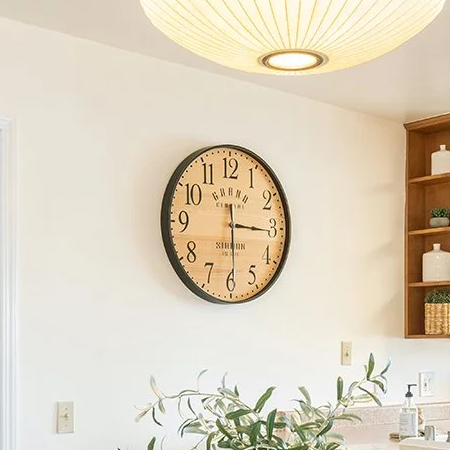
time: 3:15
